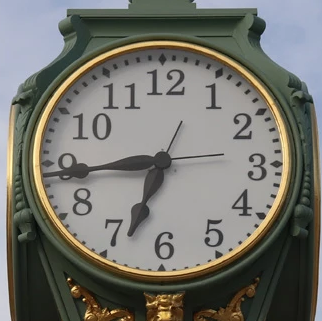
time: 6:43
